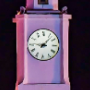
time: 9:07
